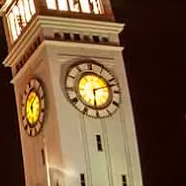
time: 6:12
